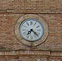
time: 7:22
